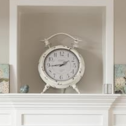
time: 1:43
